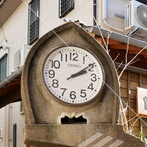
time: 2:09
